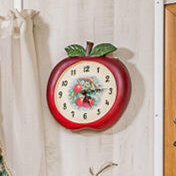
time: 5:14
